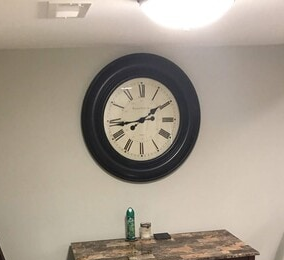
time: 1:43
